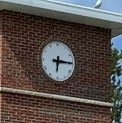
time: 6:15
